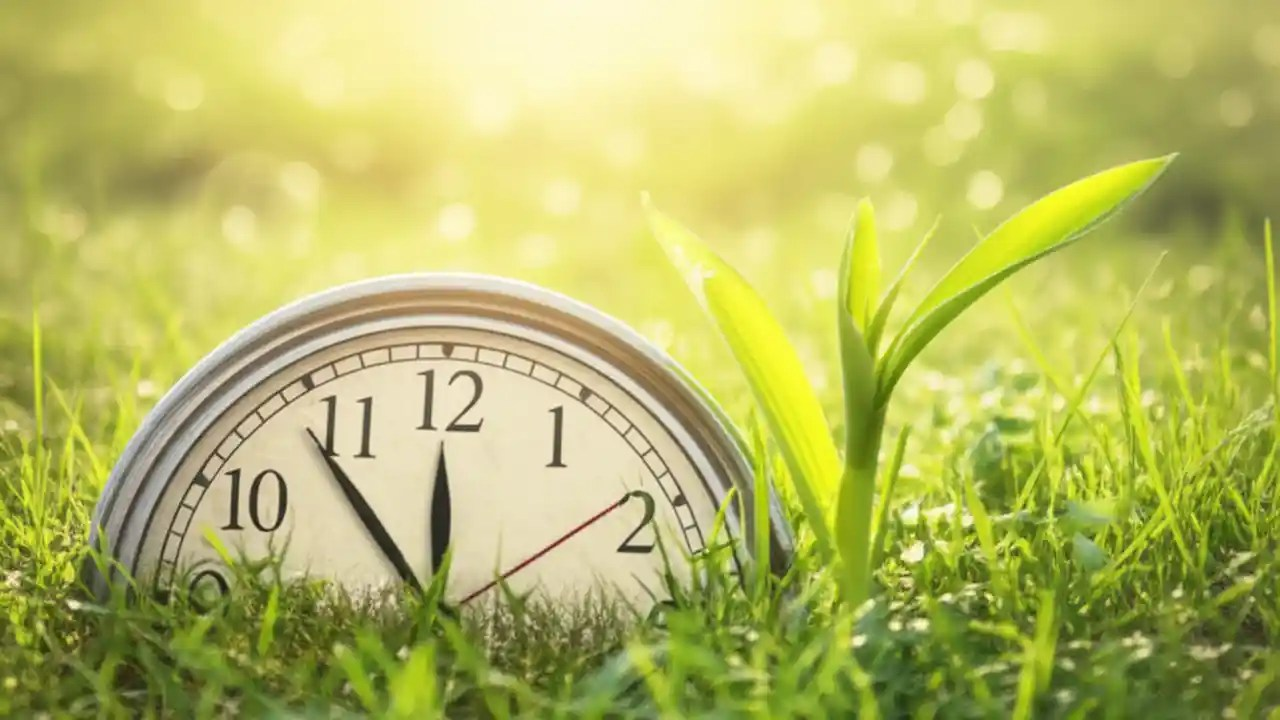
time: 11:53
